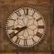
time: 8:39
